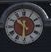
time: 10:30
